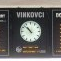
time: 10:52
